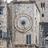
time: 8:27
